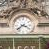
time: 3:37
